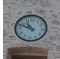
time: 10:48
